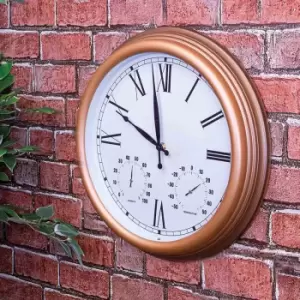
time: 9:57
